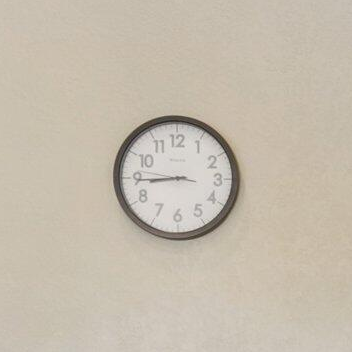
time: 8:44
